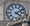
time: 4:10
